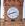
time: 2:42
